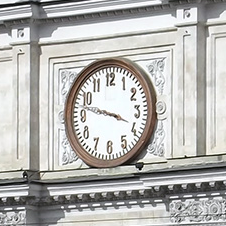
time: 3:47
